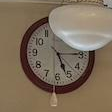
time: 5:15
